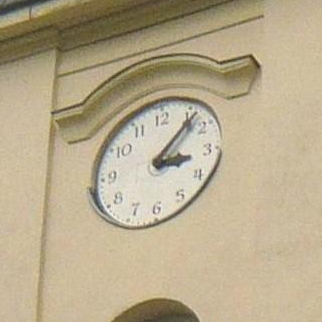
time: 3:06
